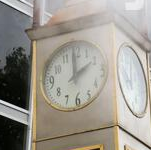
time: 1:59
